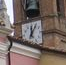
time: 12:05
